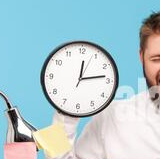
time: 12:13
